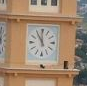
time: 10:59
